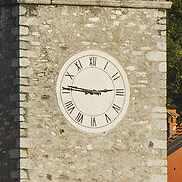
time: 2:46
